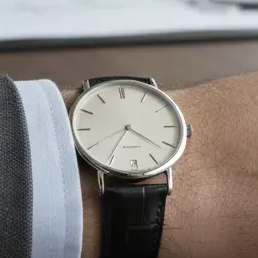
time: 4:21
